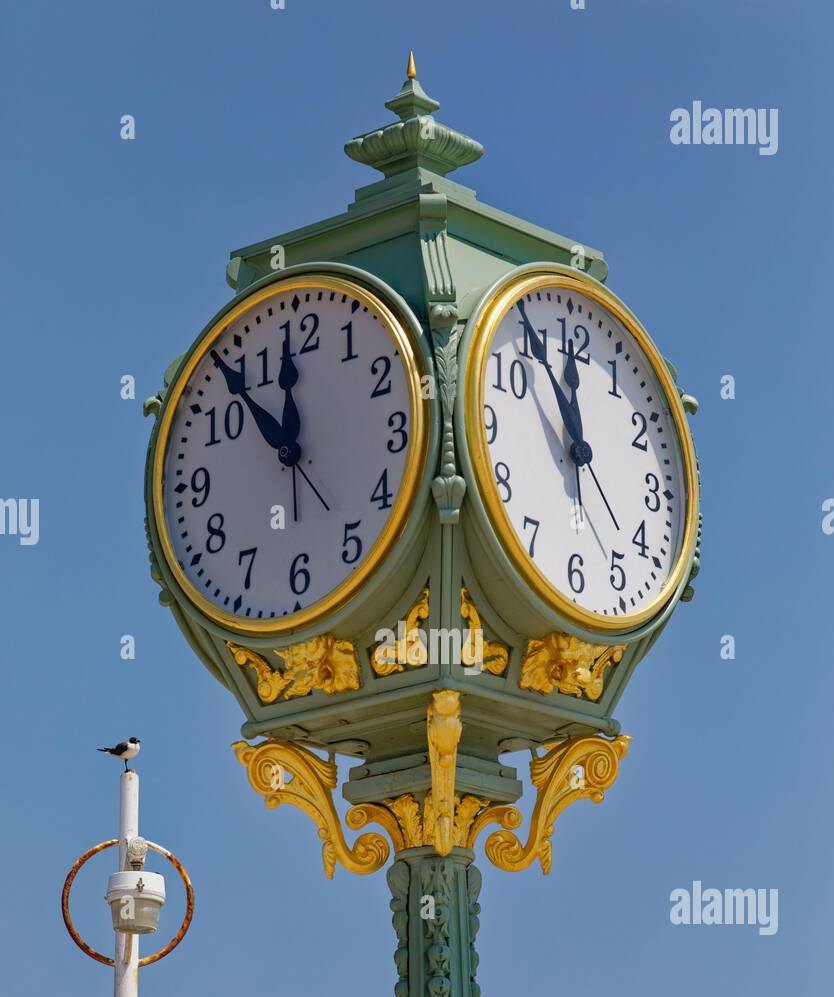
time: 11:53
